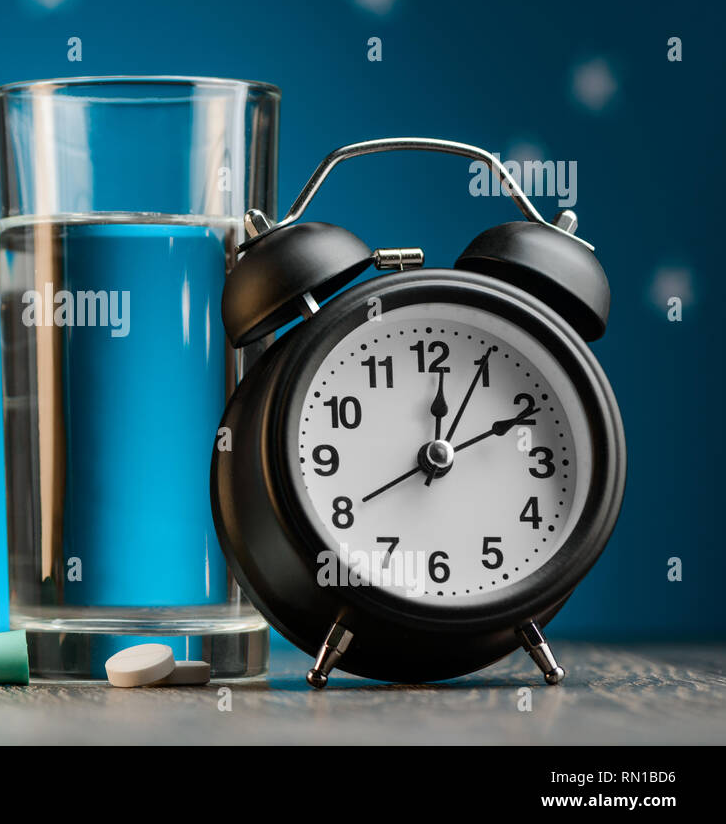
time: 12:10
